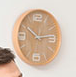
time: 10:13
